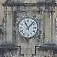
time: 11:07
